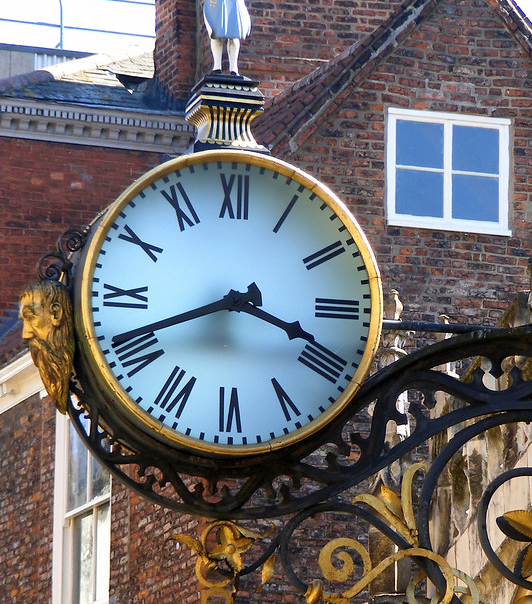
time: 3:41
